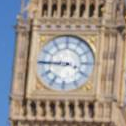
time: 3:45
